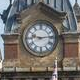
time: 9:13
